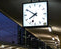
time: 7:50
